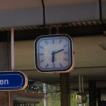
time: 6:11
